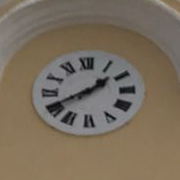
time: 1:40
